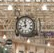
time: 11:42
